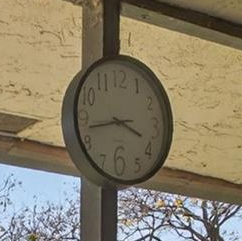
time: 3:42
